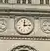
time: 12:13
